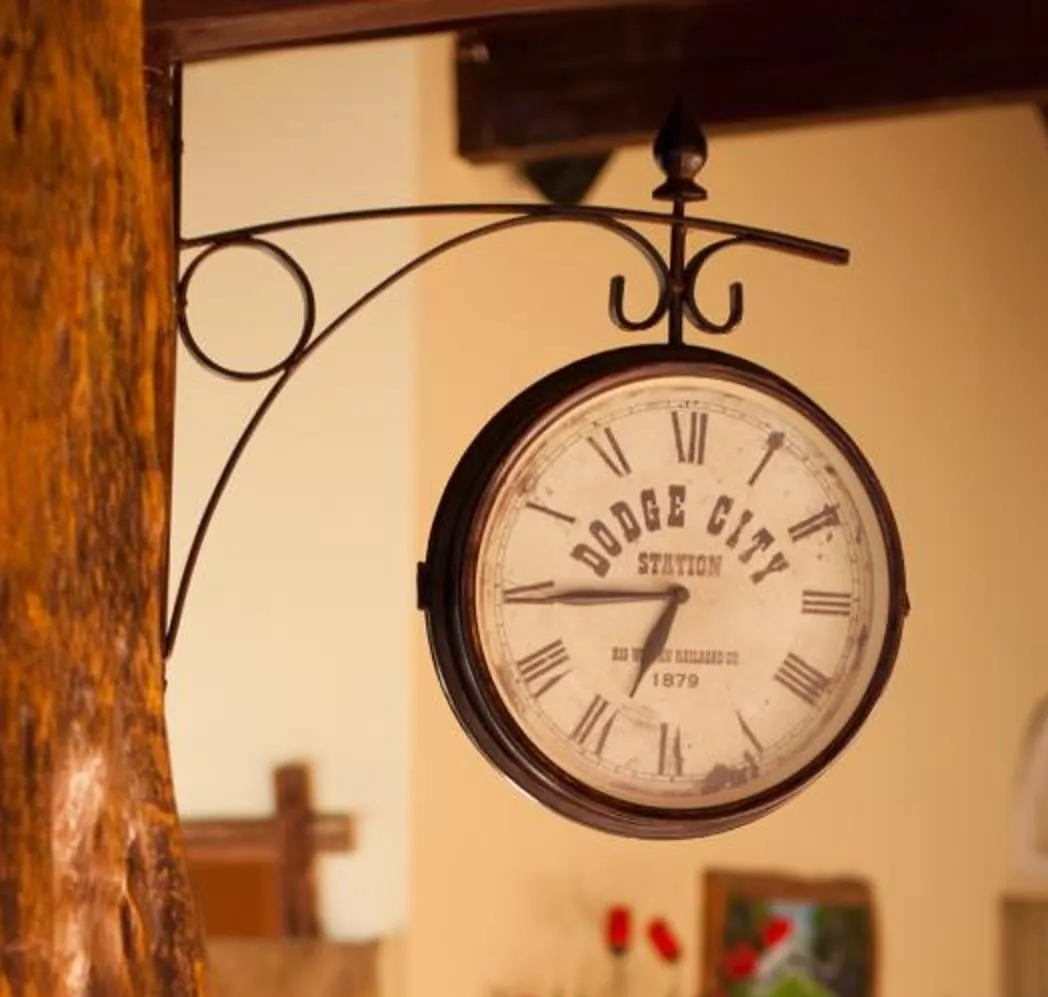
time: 6:44
